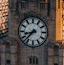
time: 8:37
